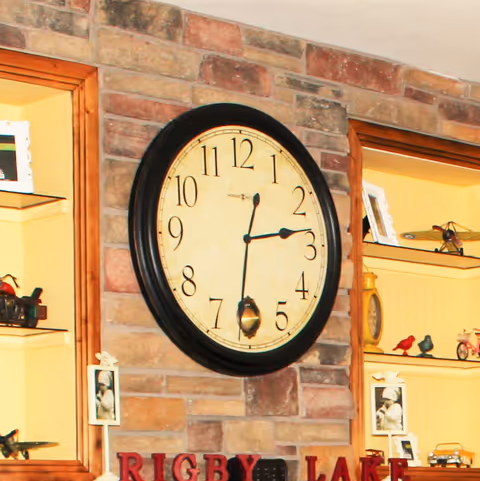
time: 2:31
